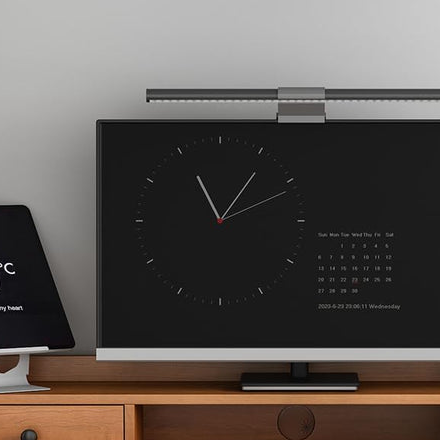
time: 11:06
